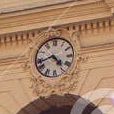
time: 4:42
